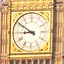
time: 8:50
